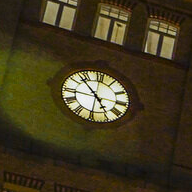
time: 4:52
